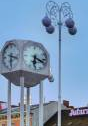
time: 6:18
